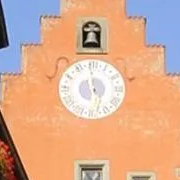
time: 5:59
